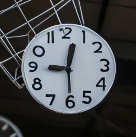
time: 12:29
